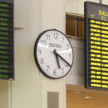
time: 5:19
